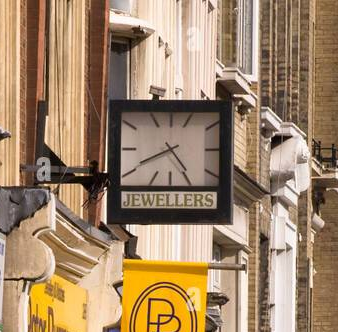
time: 4:40
